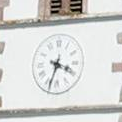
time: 3:33
